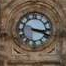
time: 3:18
